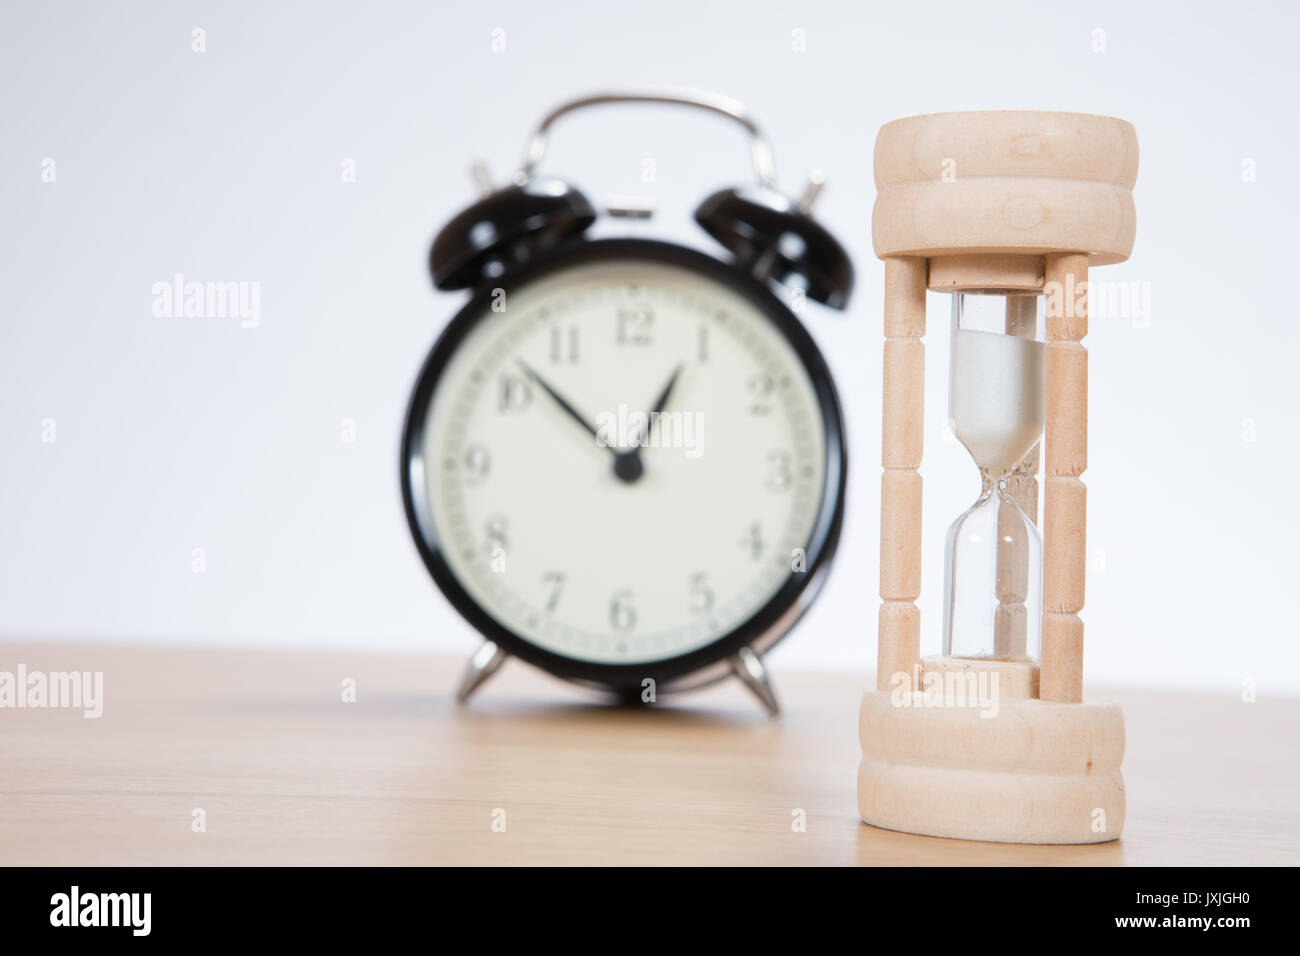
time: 12:52
